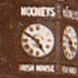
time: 4:50
